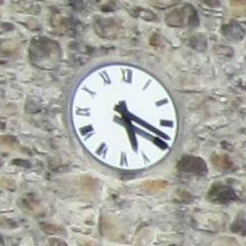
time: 5:18
